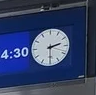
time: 2:30
